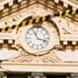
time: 11:17
